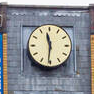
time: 11:31
